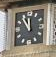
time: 11:53
